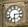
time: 6:14
